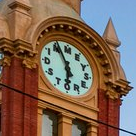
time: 5:55
